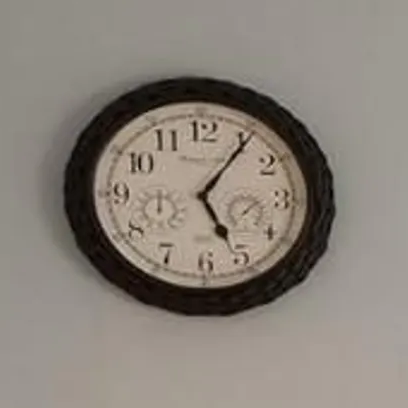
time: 5:05
